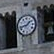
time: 1:42
